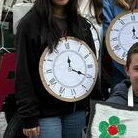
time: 12:19
